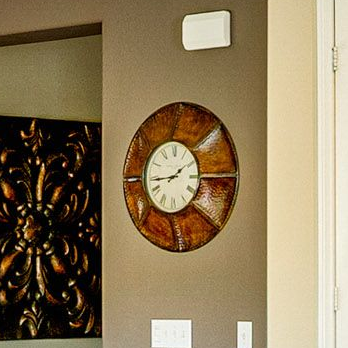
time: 1:43
